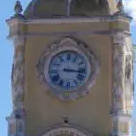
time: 3:16
